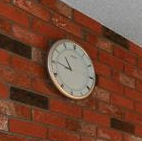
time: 10:45
